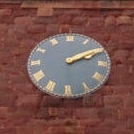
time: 2:09
